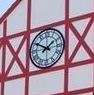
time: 1:50
